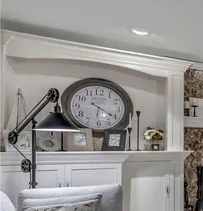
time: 4:20
